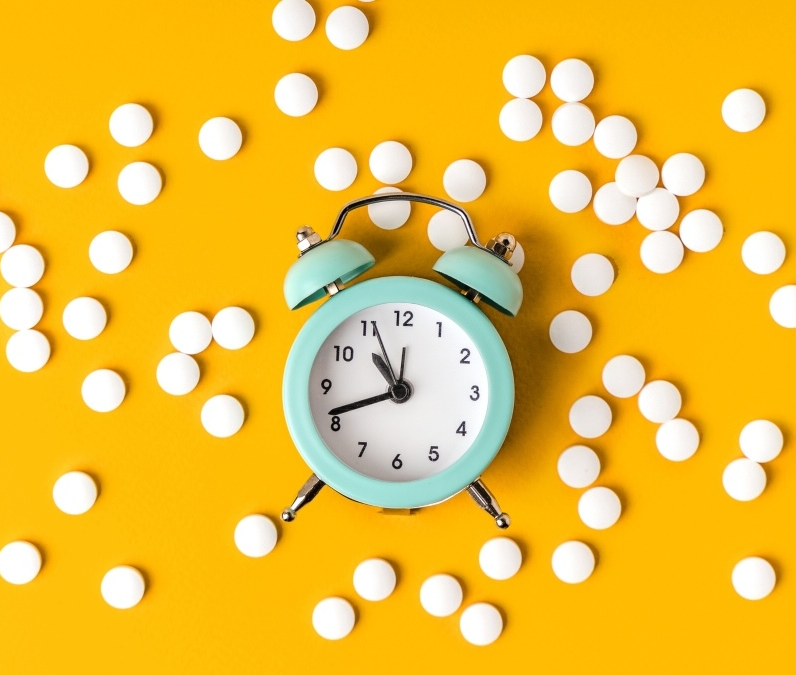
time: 10:41
